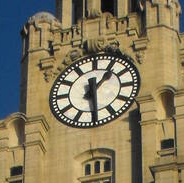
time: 1:28
